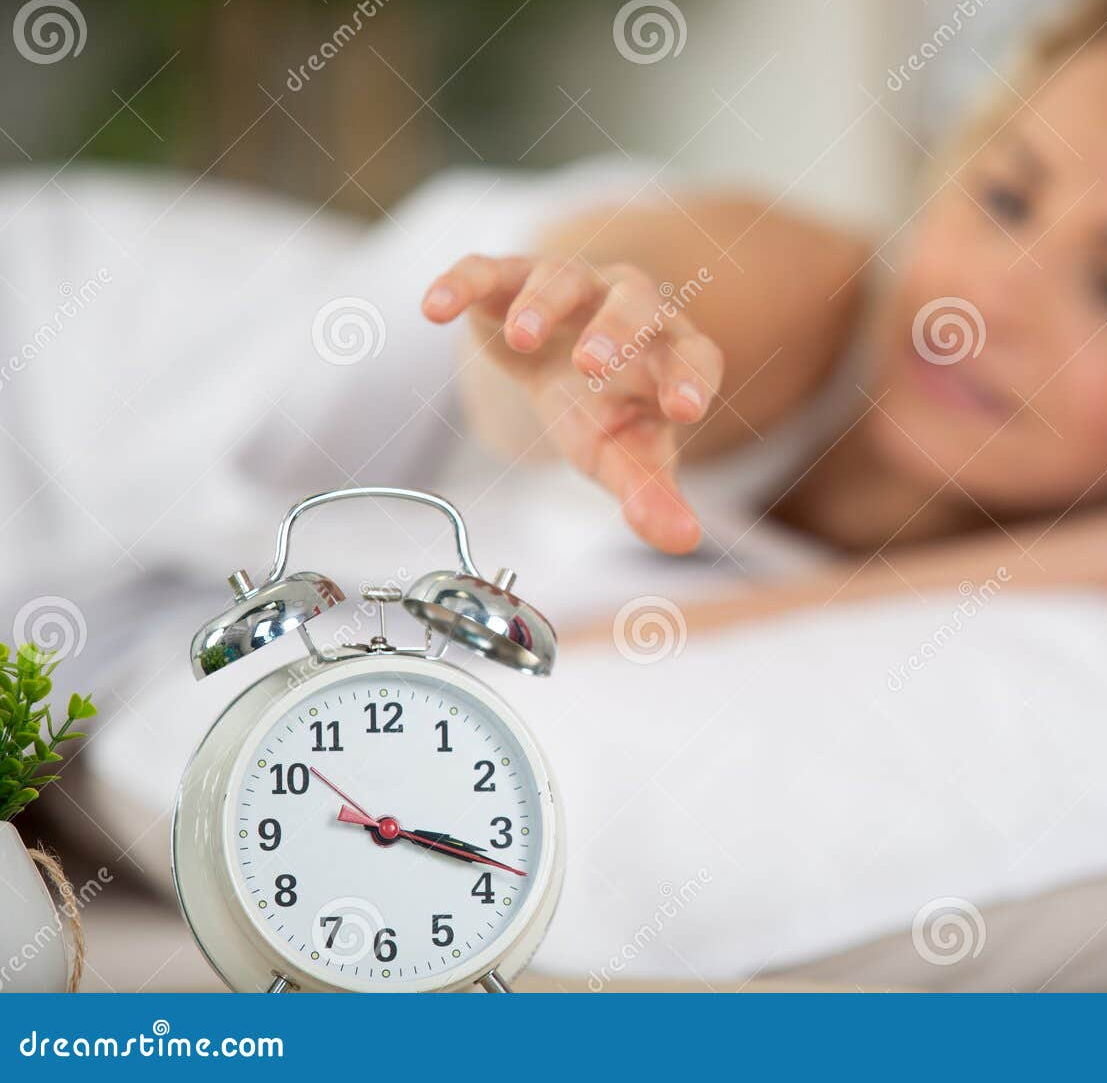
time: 3:17
